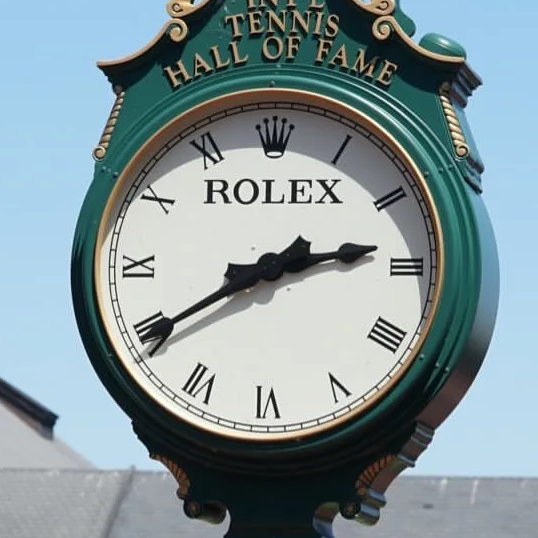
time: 2:39
